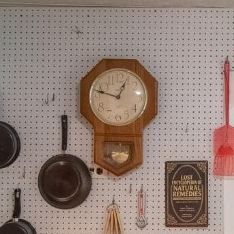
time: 12:47
